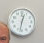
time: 12:32
